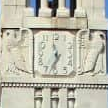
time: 11:35
